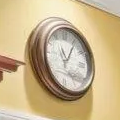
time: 11:05
